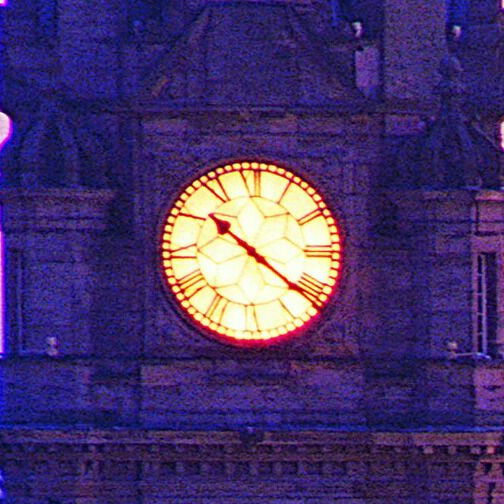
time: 10:21
